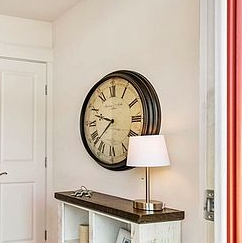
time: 9:37
